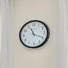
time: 11:19
